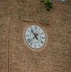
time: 10:37
